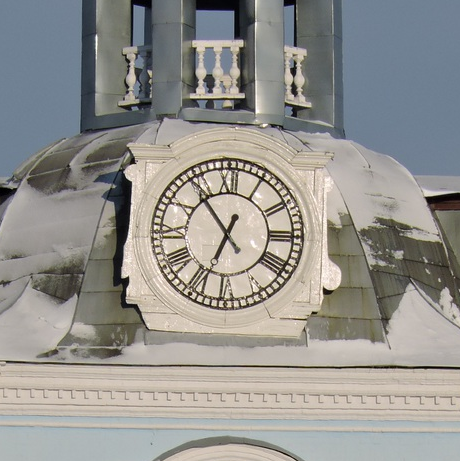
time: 6:53
